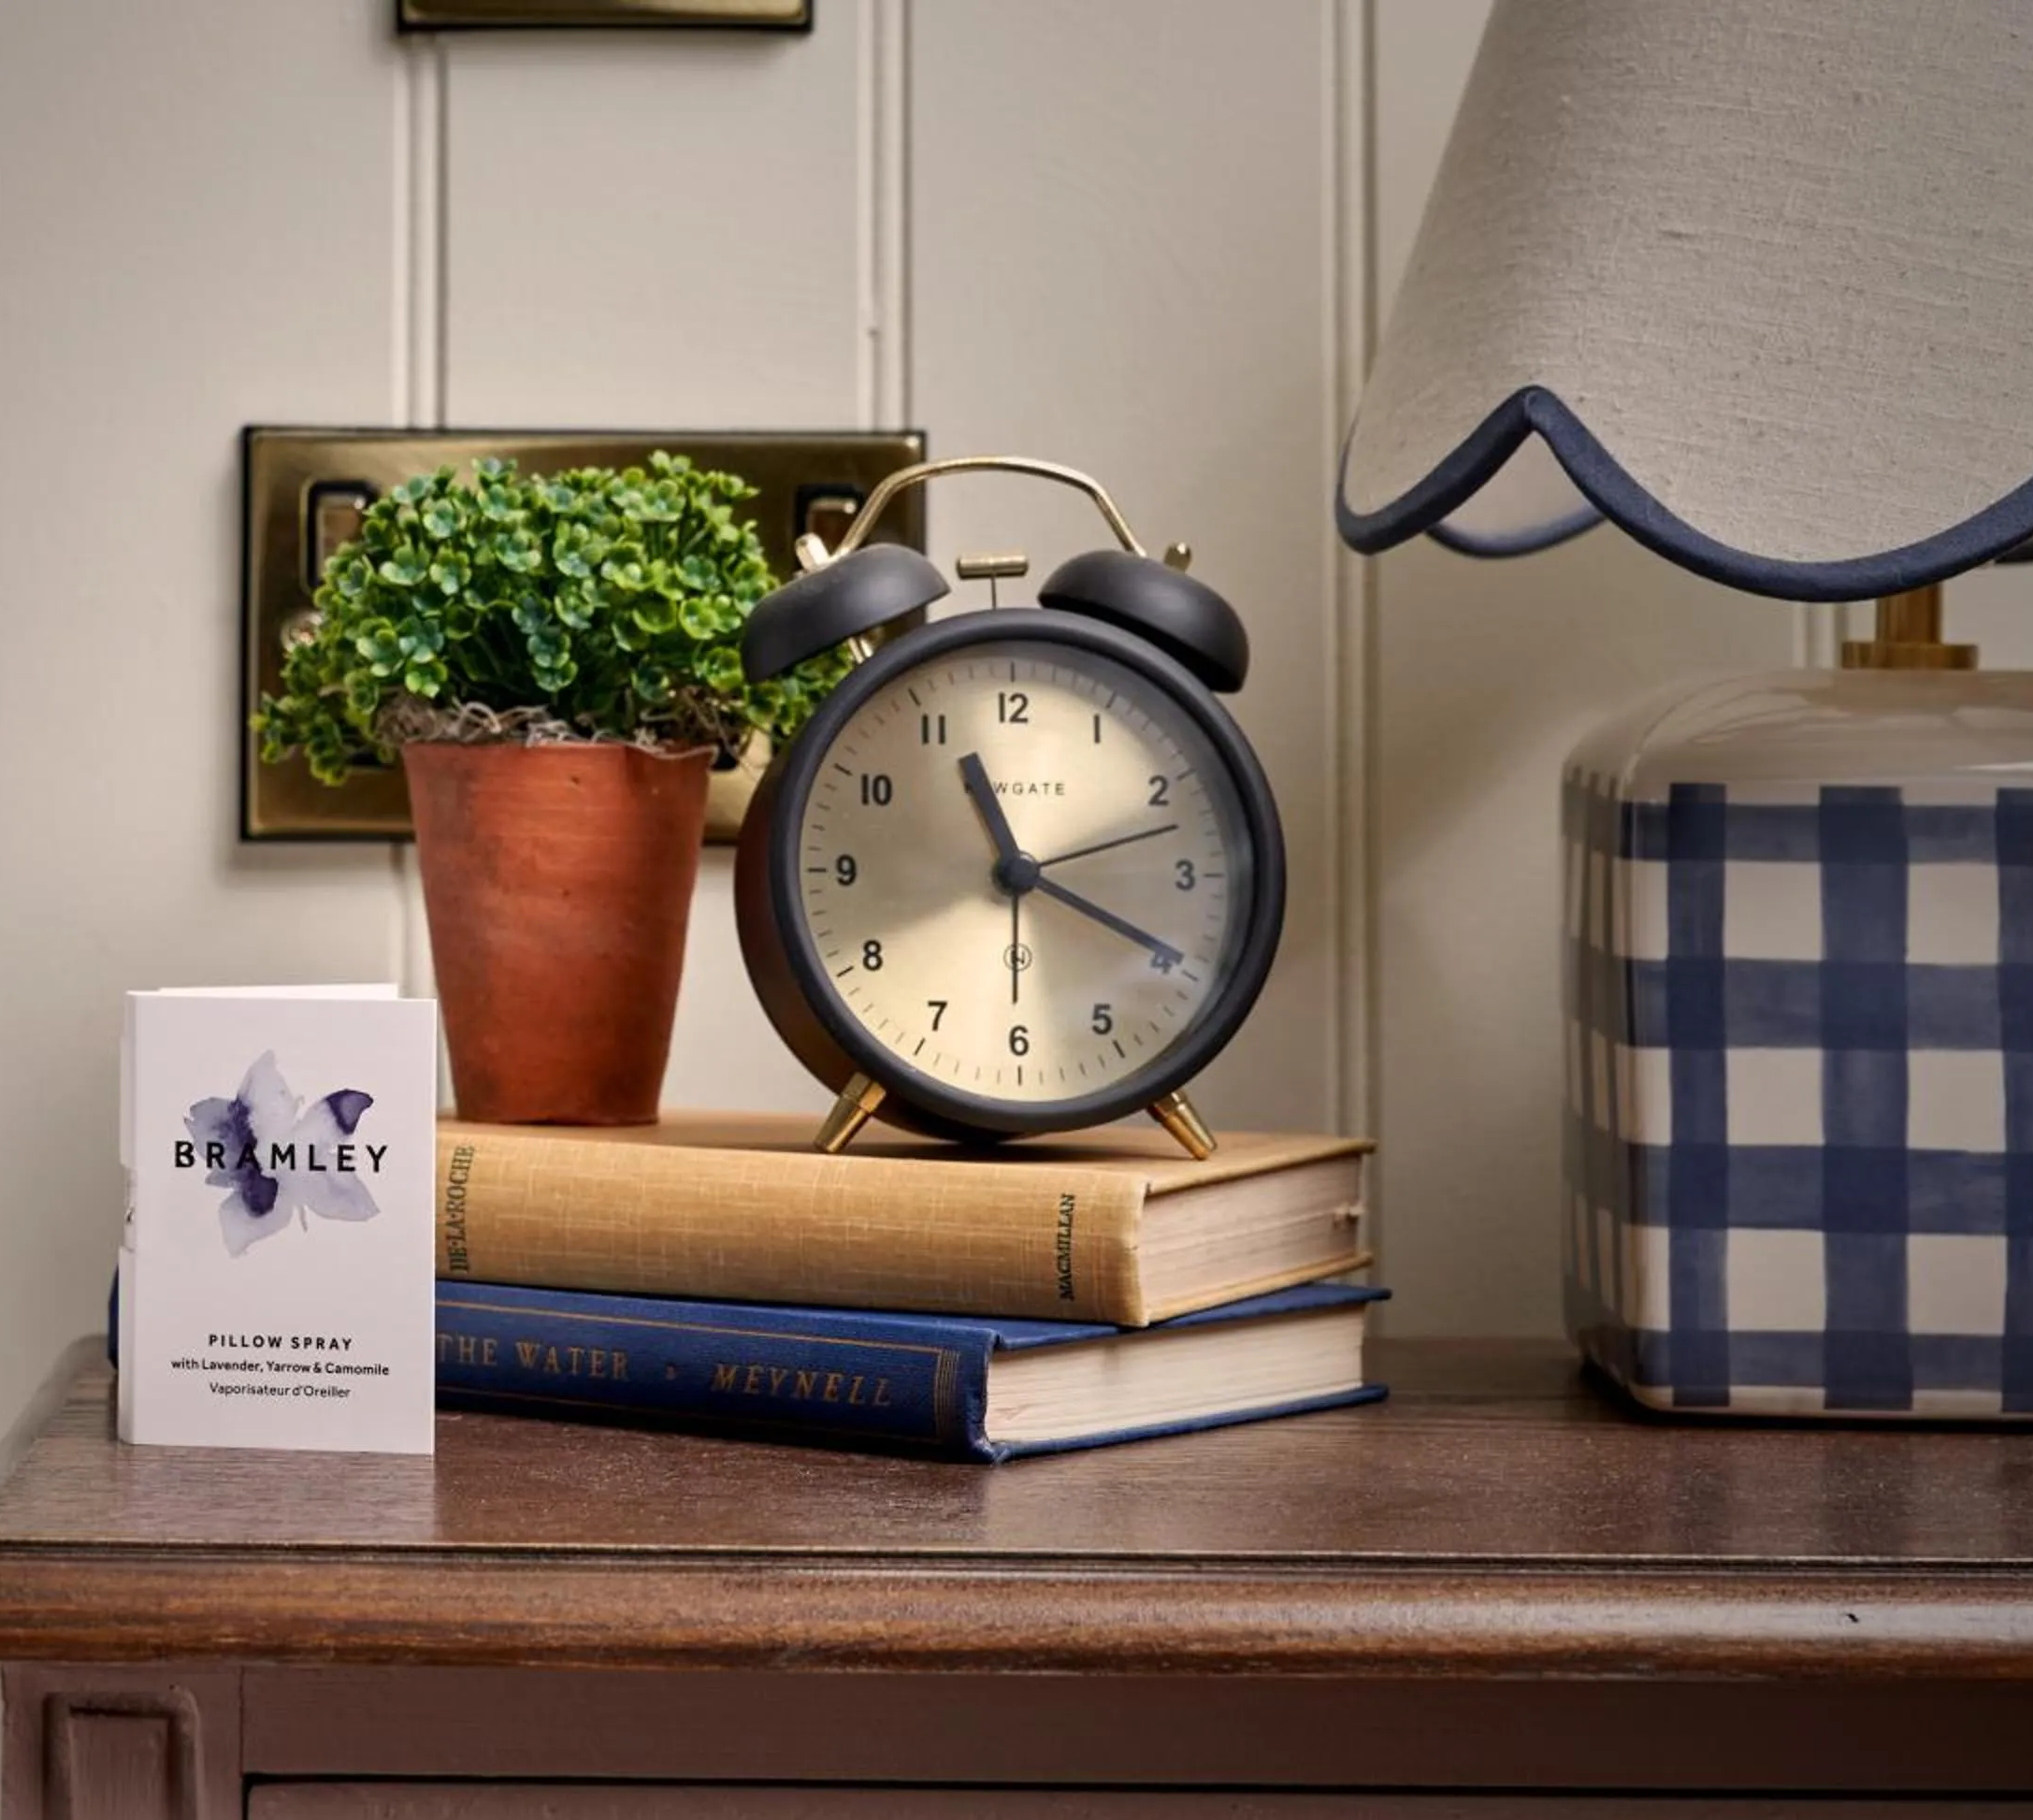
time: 11:19
